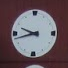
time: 9:42
